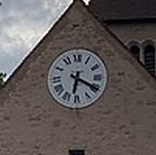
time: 6:19
